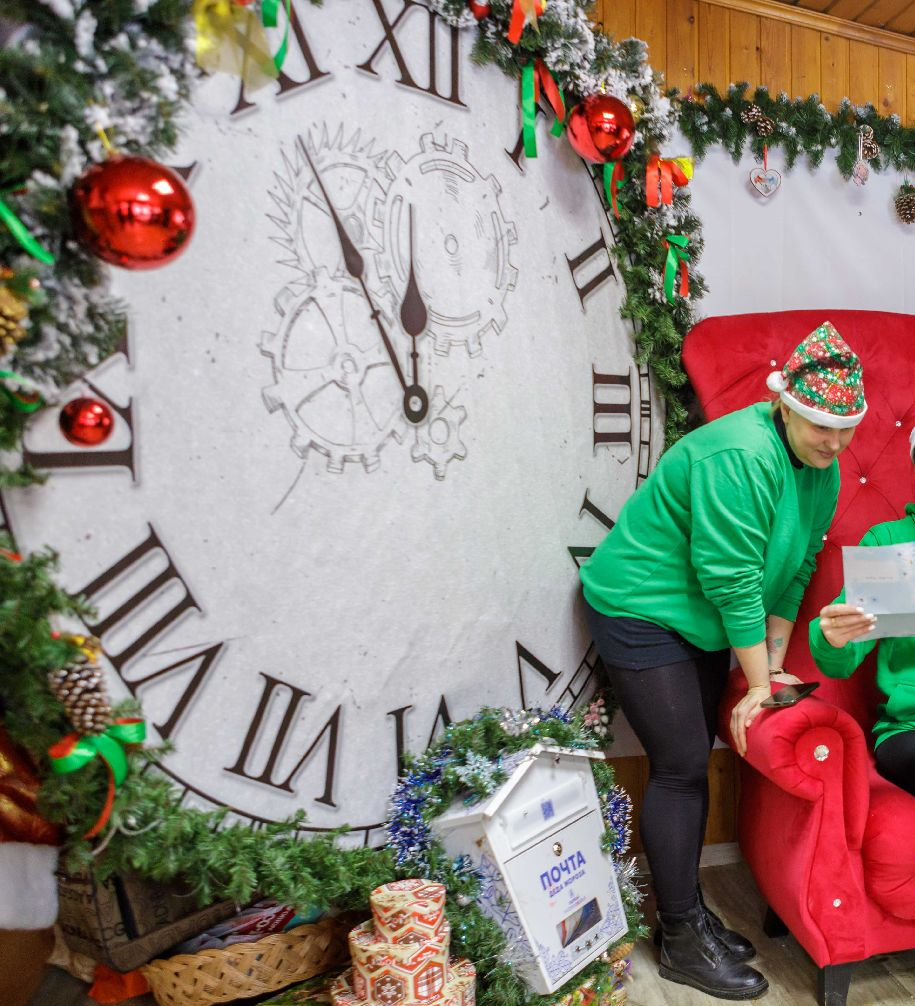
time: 11:54
